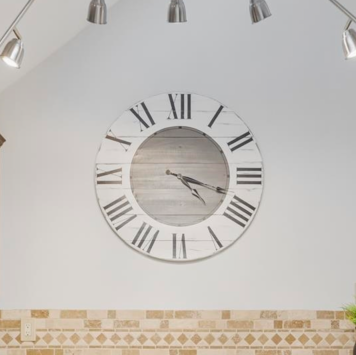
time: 4:18
